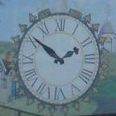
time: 1:51
